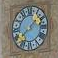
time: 1:38
